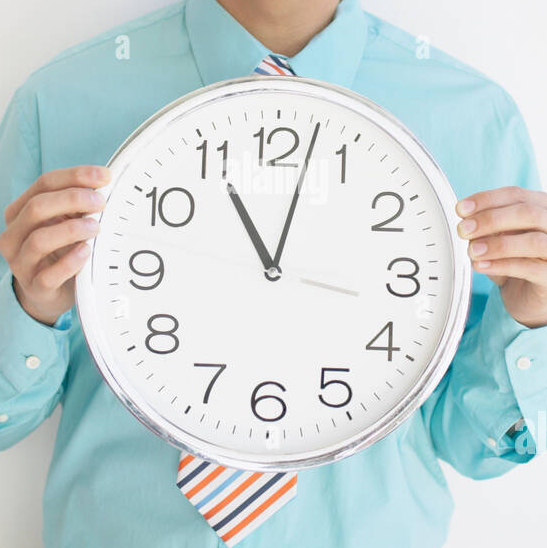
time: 11:02
